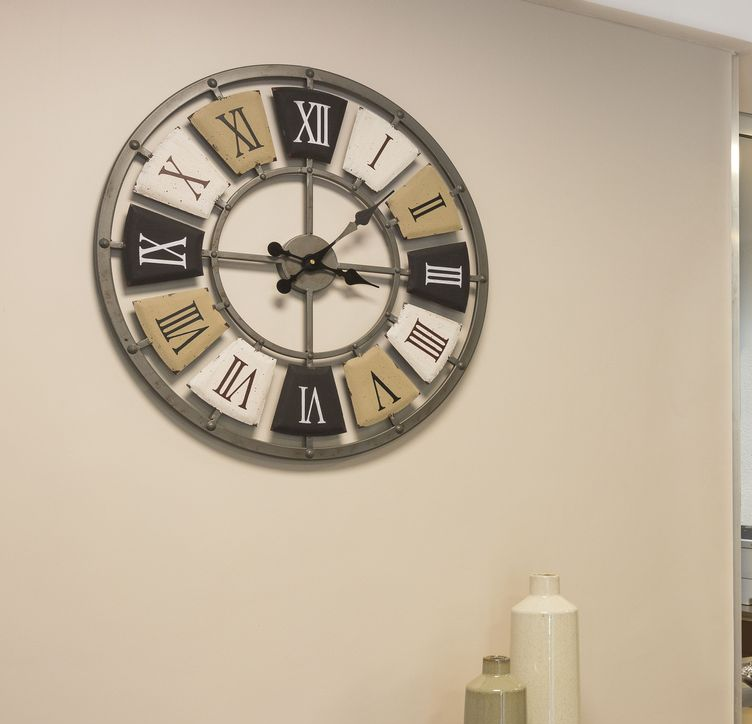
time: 3:07
